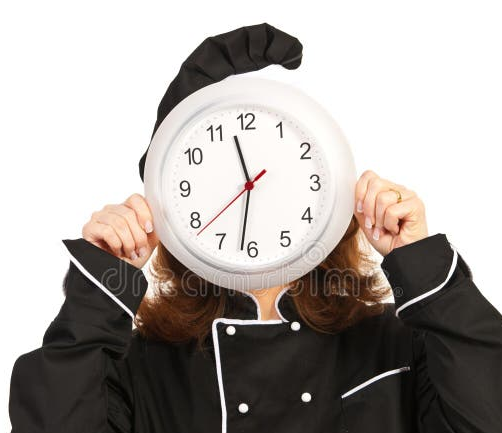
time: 11:31
